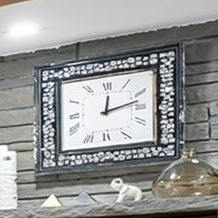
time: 12:12
